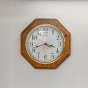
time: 3:42
